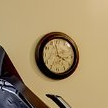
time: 3:57
